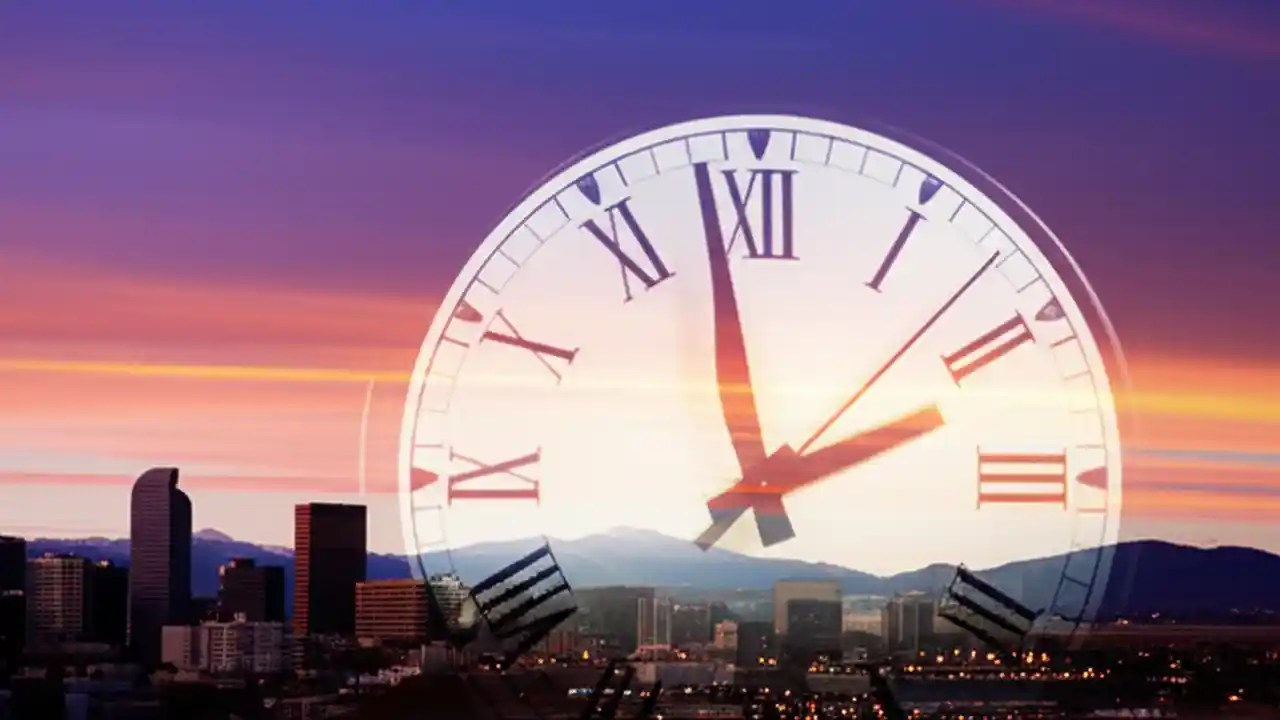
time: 1:58
